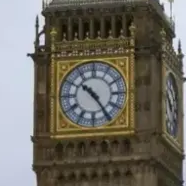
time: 10:24
